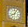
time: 8:04
